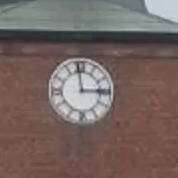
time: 2:59
